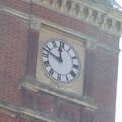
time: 11:47
